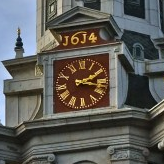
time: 2:17
